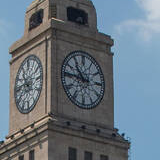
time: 10:45
